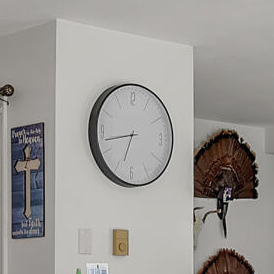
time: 6:42
